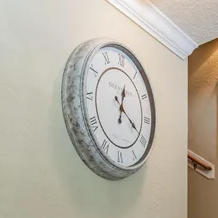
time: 12:19
